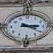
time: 3:21
